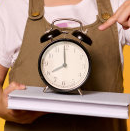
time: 7:59
